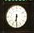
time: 6:29
